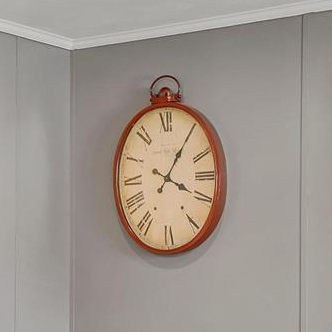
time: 4:05
